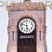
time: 5:47
